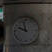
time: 9:57
